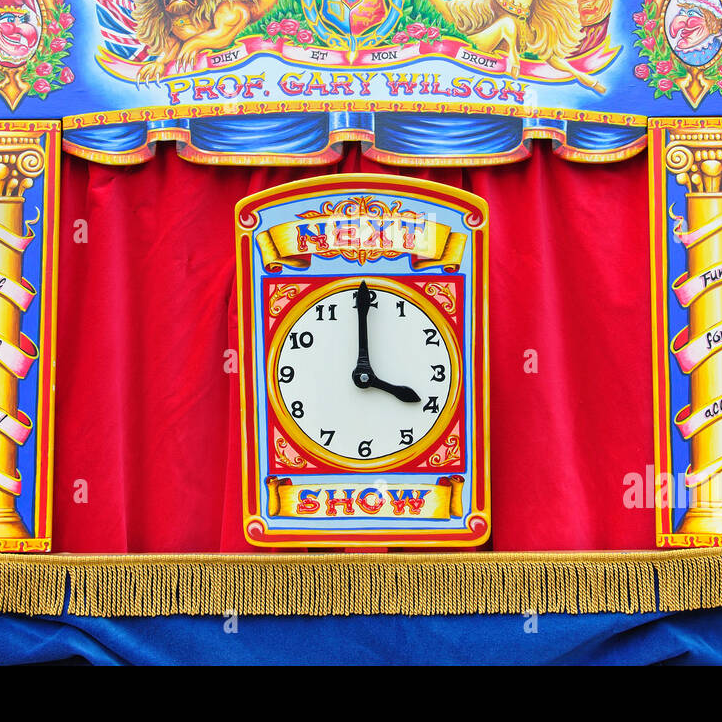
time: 4:00
